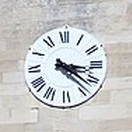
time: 3:21
